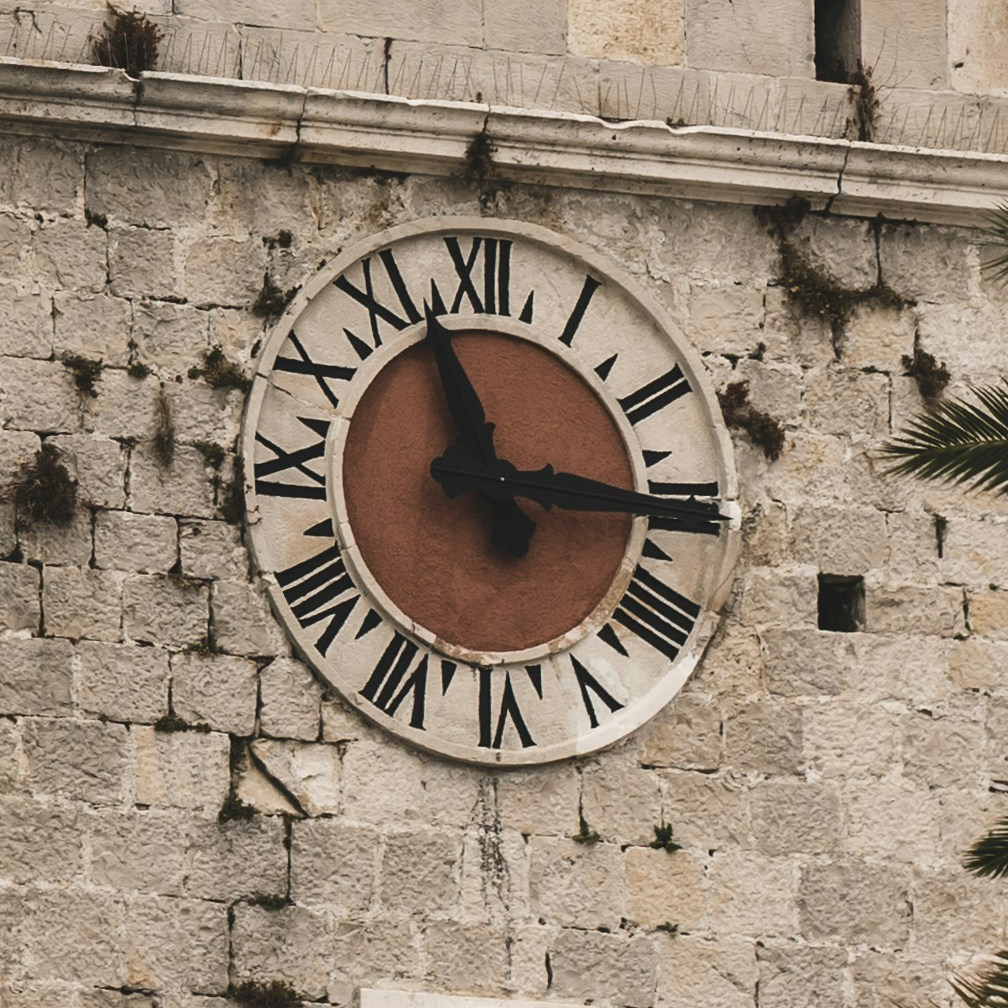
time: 11:15
